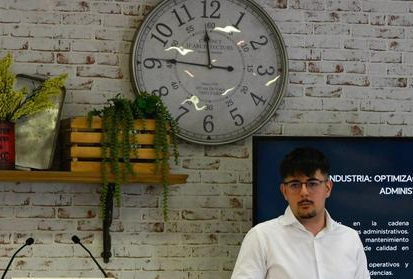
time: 11:45
